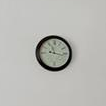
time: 11:16
